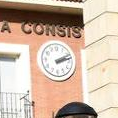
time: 2:12
